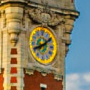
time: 8:09
